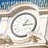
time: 1:14
